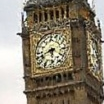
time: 5:42
